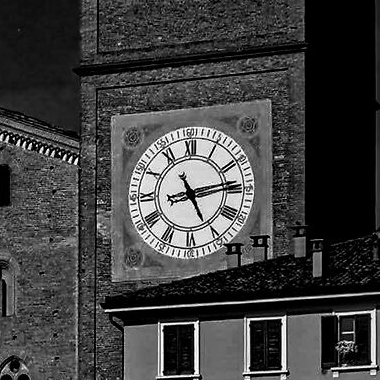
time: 5:13
